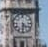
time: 4:31
